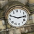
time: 2:48
